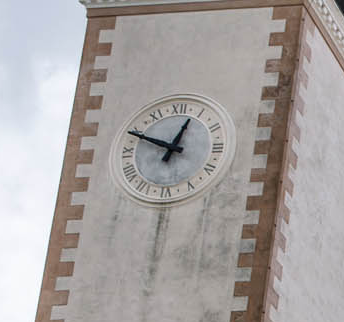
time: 12:49
